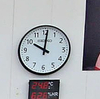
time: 10:00
